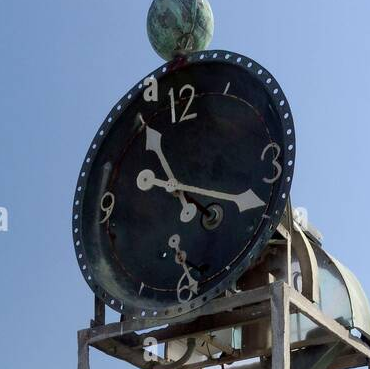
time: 11:18
